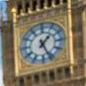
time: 1:26
